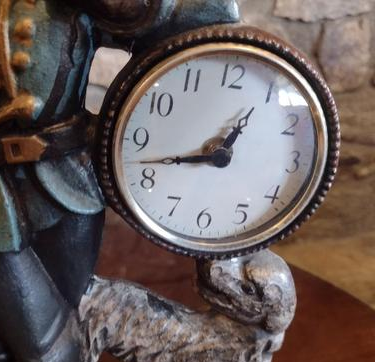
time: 12:42
